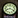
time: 8:18
